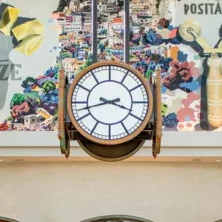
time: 3:42
